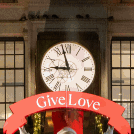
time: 8:57
